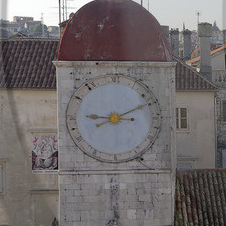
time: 9:11
